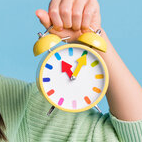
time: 11:05
